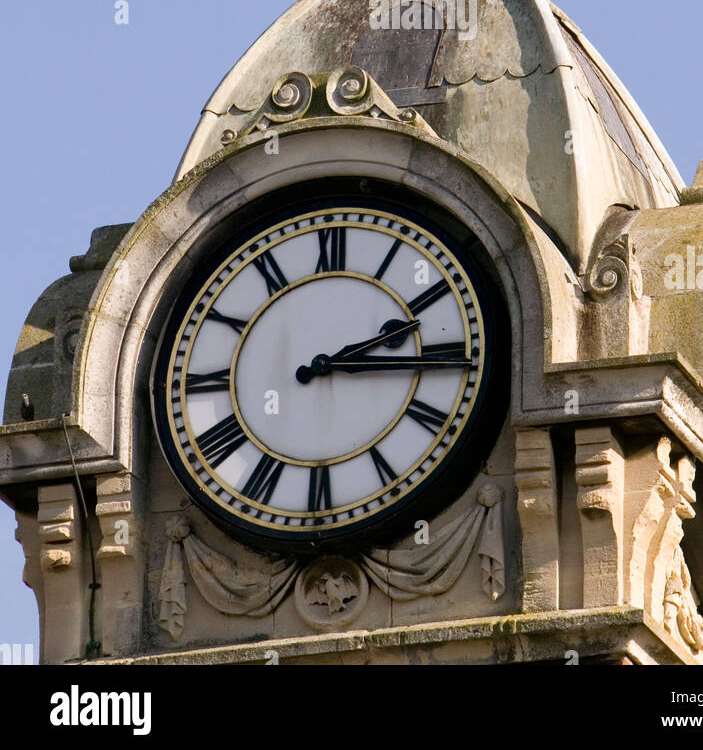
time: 2:15
